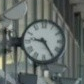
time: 9:24
